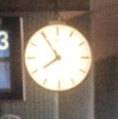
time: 7:54
